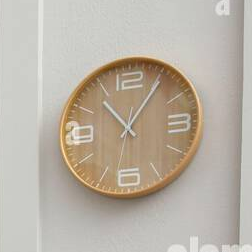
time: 11:05
